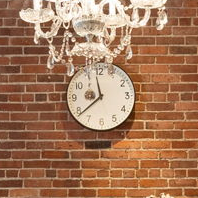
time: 11:38
